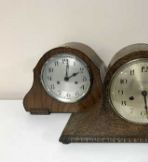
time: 2:01
